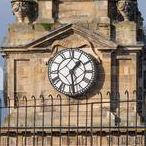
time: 1:28
